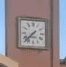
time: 7:37
